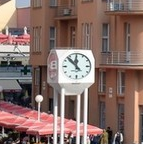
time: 11:52
